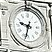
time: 9:33
